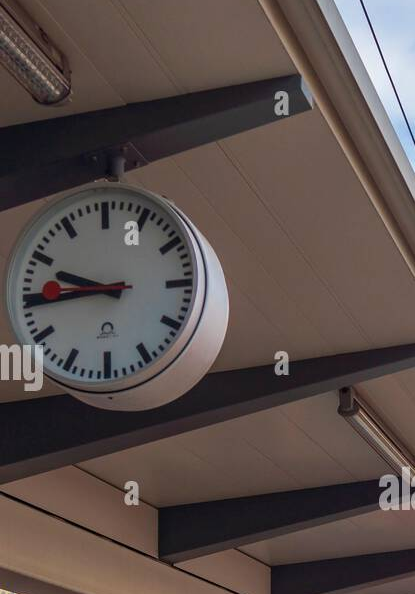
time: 9:44
